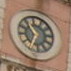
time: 10:34
